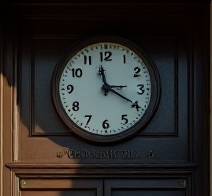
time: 11:19
